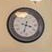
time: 3:32
